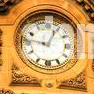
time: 12:46
